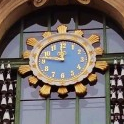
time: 11:46
